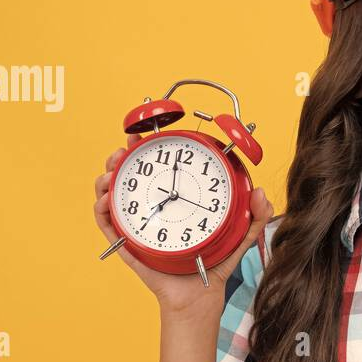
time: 6:58
